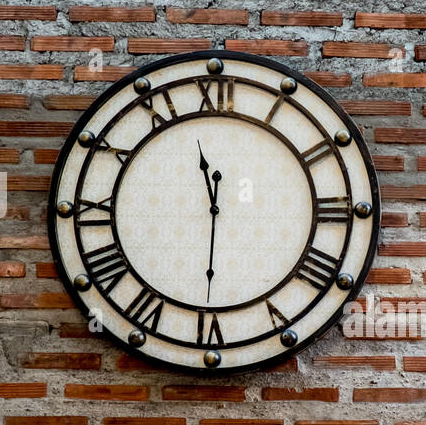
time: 11:30
